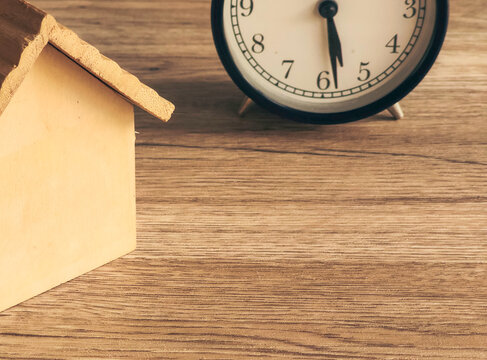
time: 5:28
